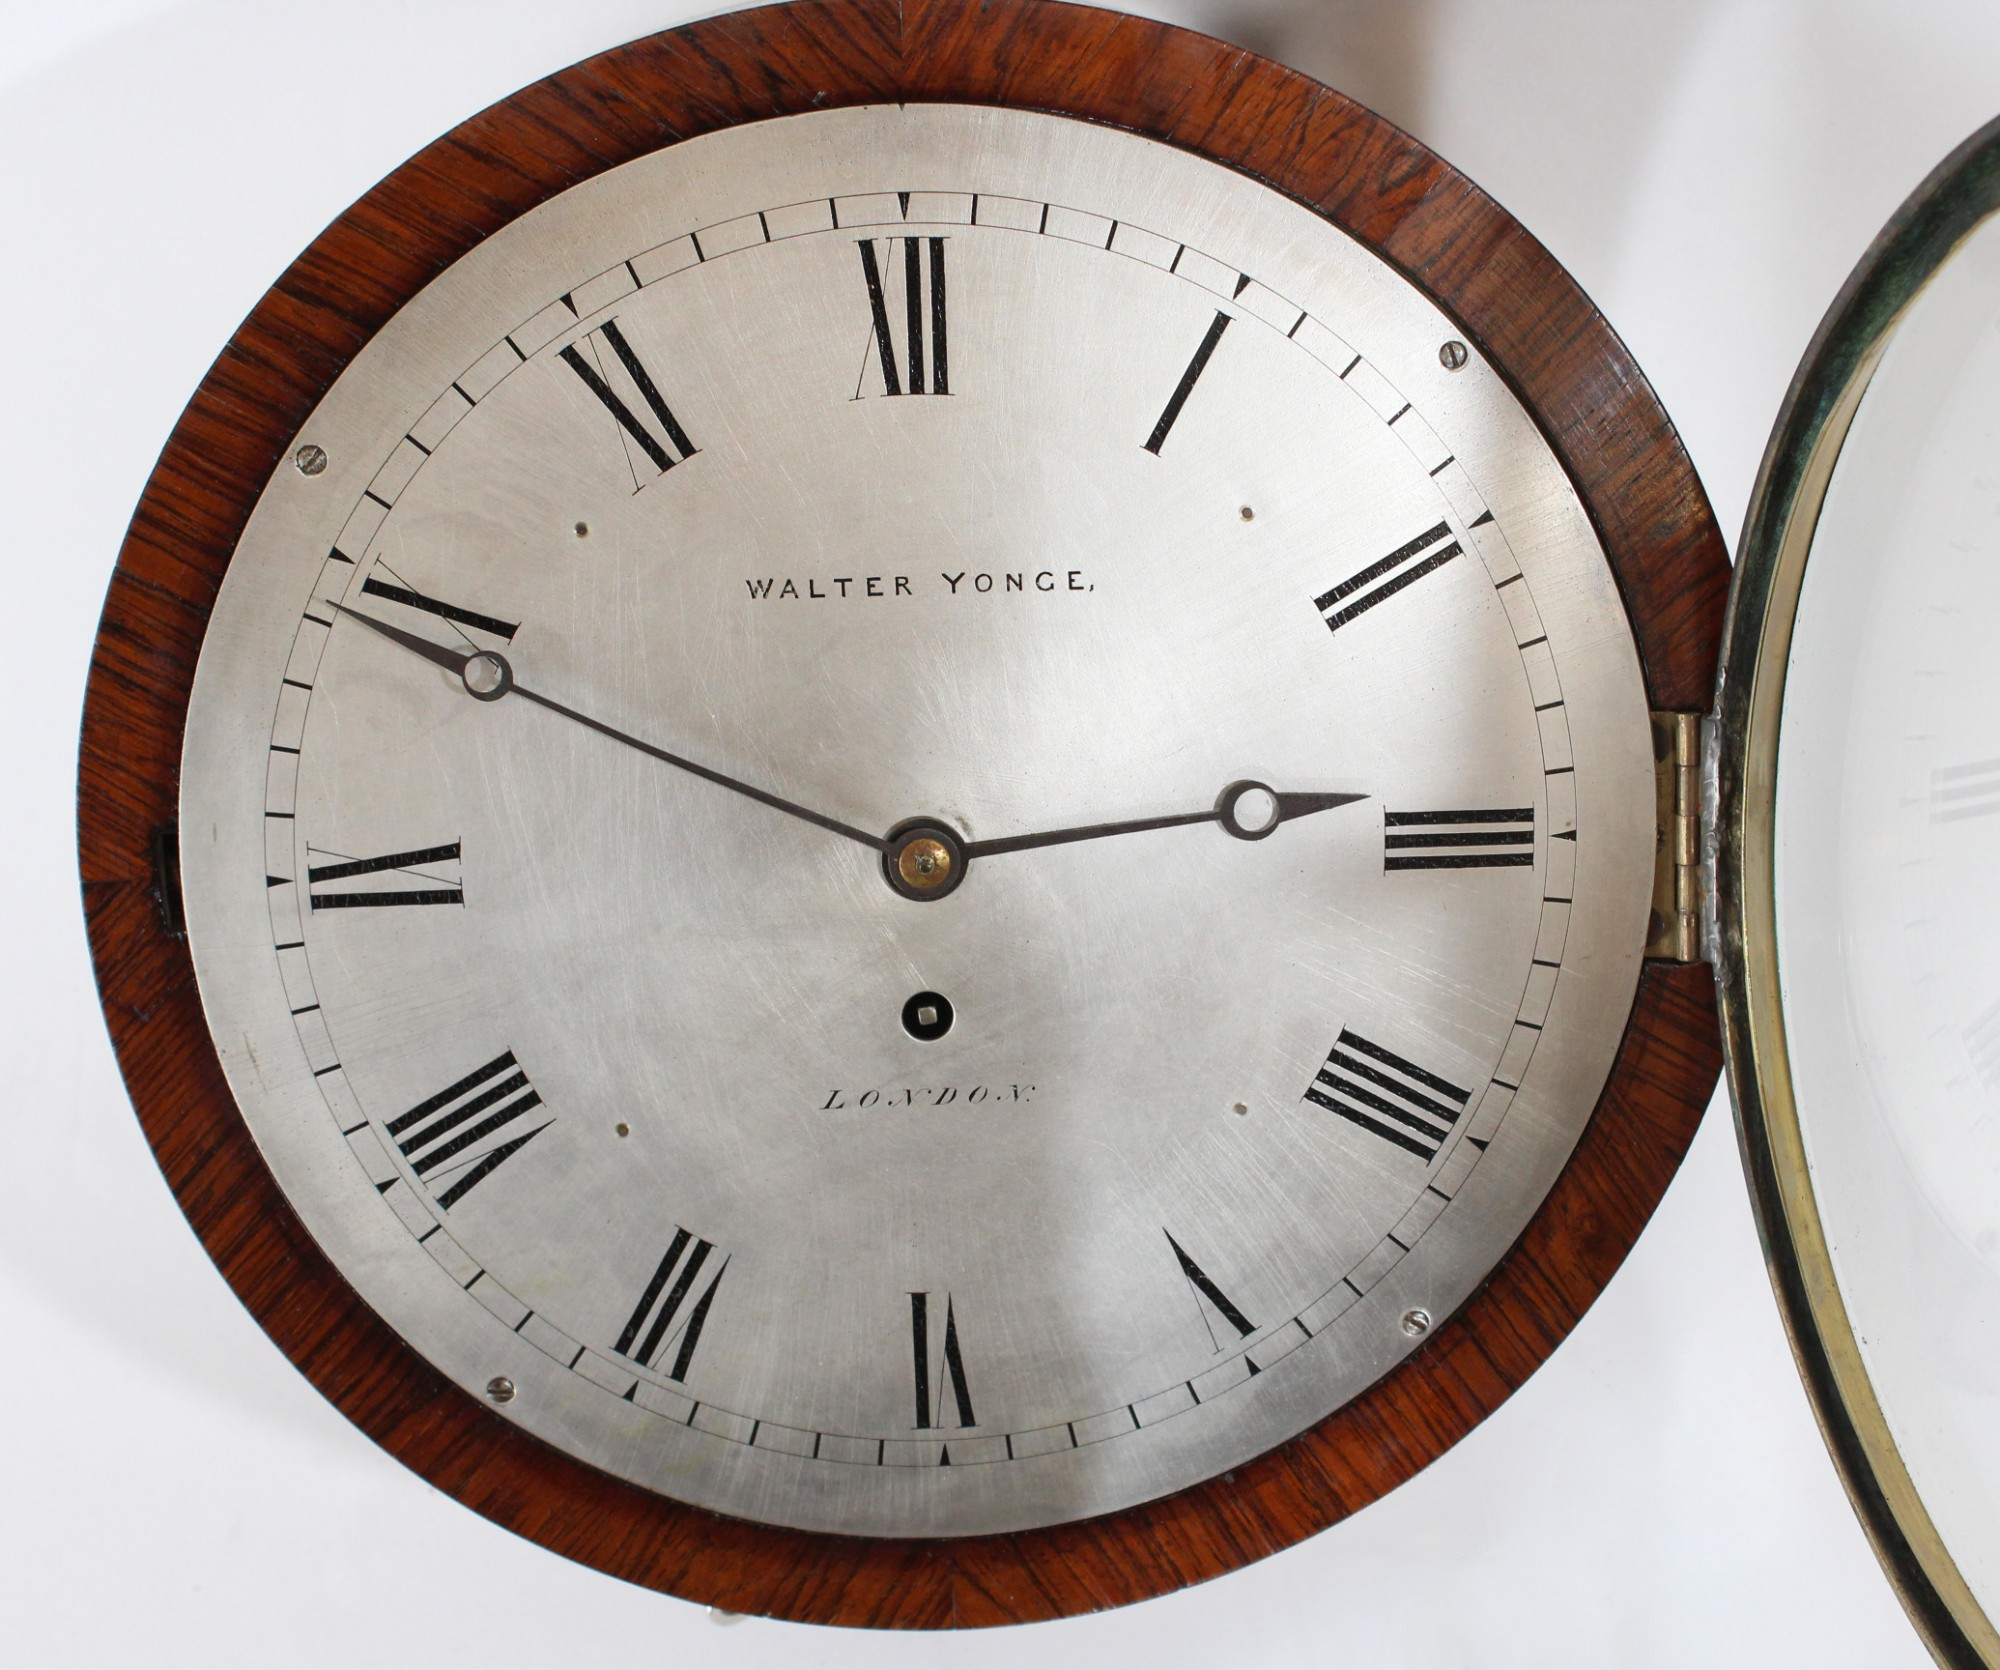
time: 2:49
